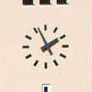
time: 1:56
